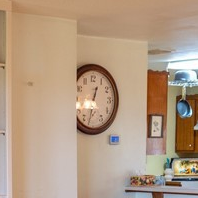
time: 12:32
